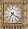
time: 7:21
